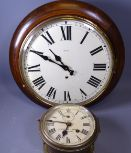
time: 10:49
